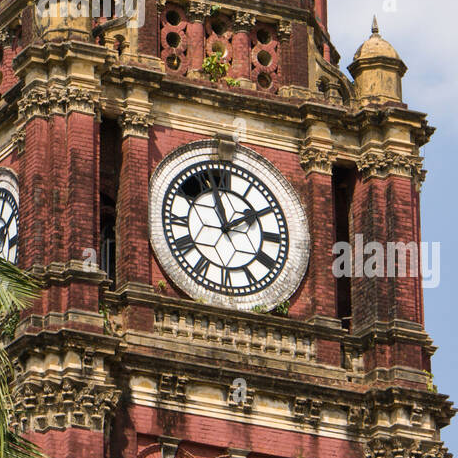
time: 1:57
